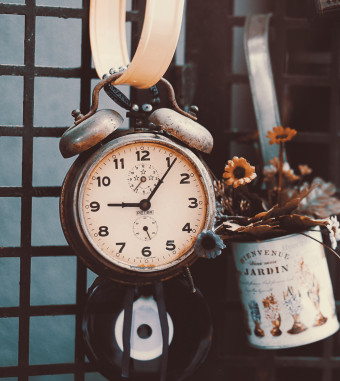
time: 9:06
